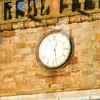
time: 12:28
